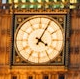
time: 4:04
